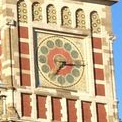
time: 7:15
